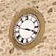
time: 3:48
